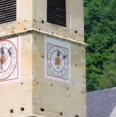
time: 12:09
